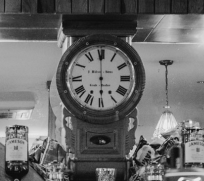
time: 5:59
